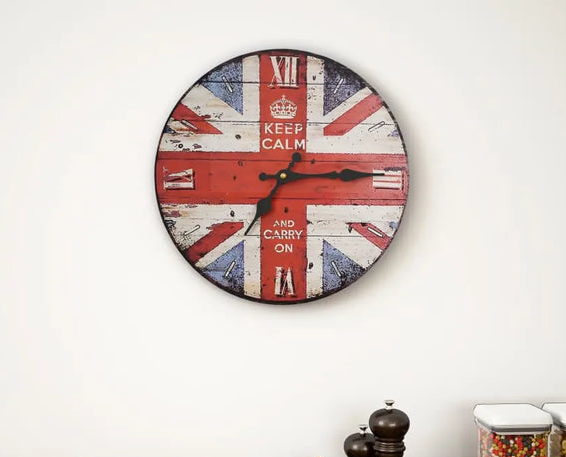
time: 7:14
